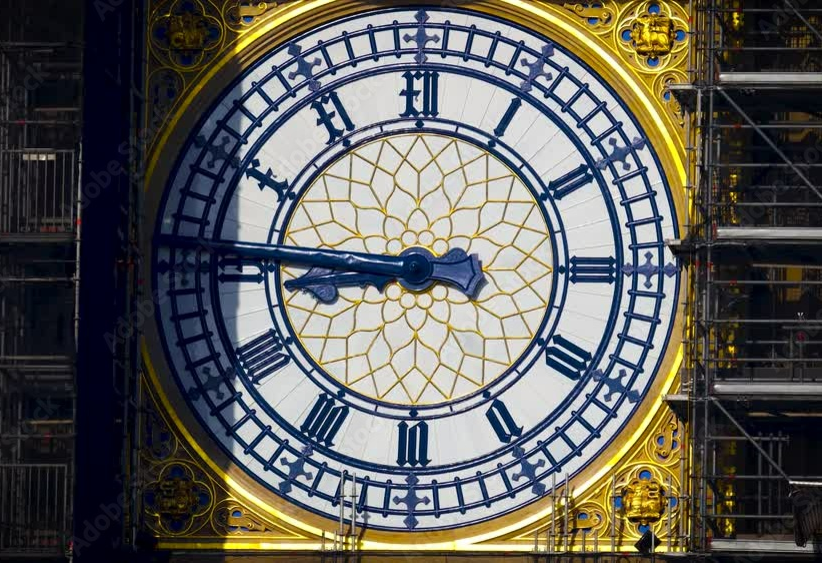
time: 8:45
